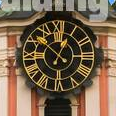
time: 12:52
